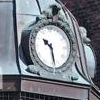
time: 10:28
